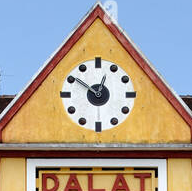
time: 12:51
